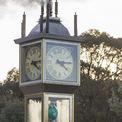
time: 4:14
